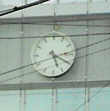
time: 5:19
